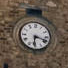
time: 6:18
